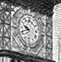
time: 9:41
